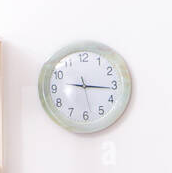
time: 9:16
